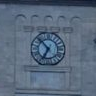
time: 6:52
